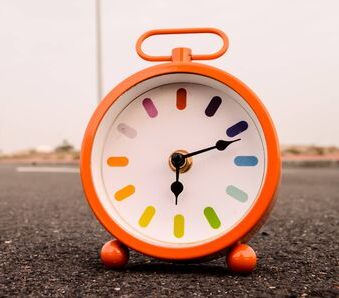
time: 6:11
